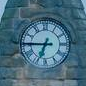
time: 6:45
